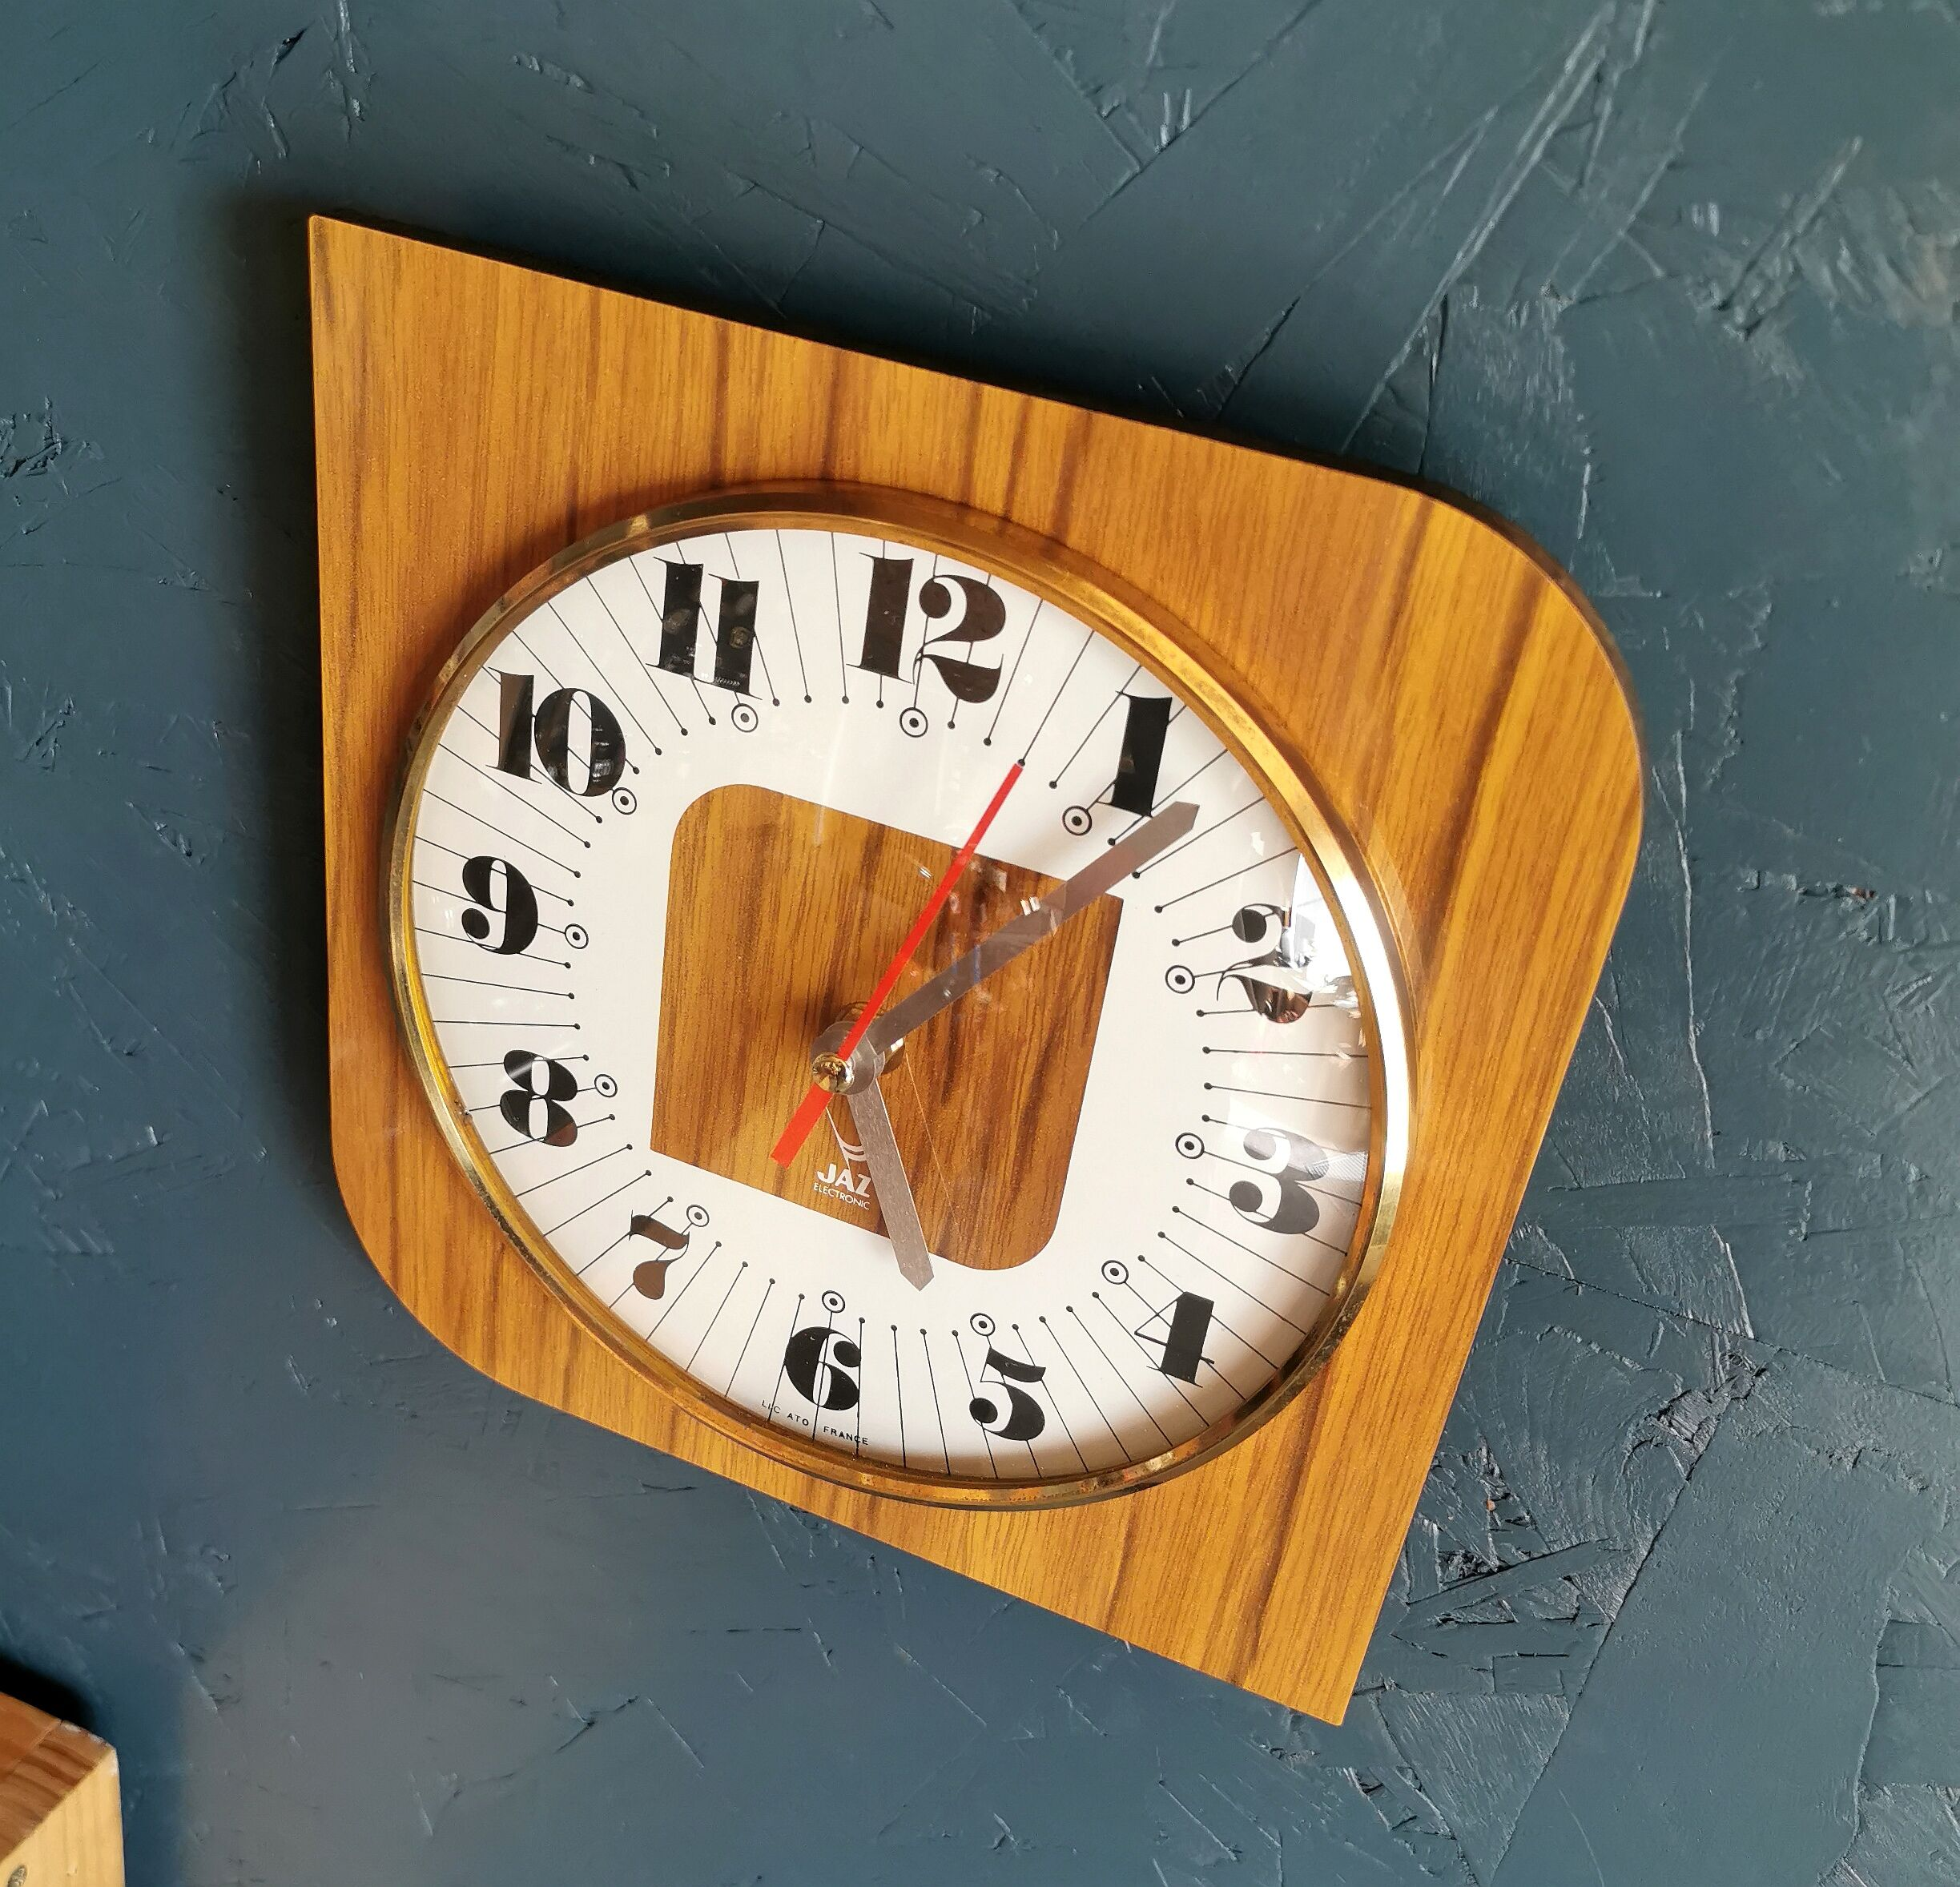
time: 5:06
